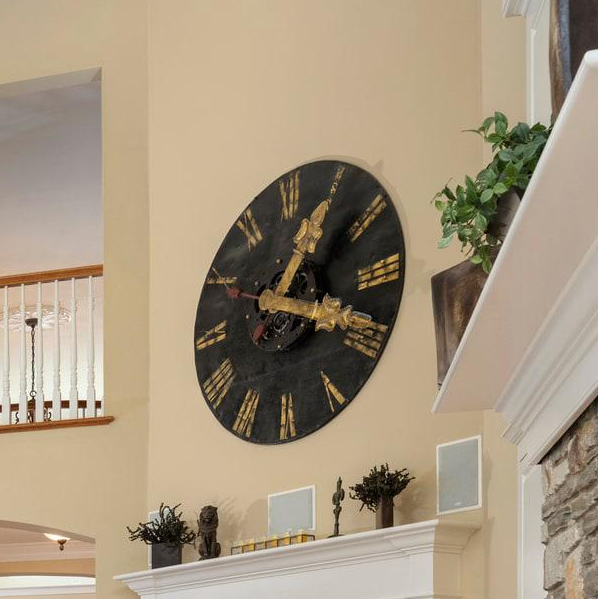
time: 1:18
